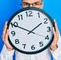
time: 1:49
